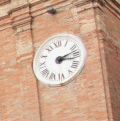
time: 3:12
